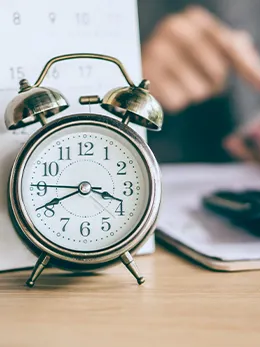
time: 3:41
